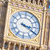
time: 3:20
